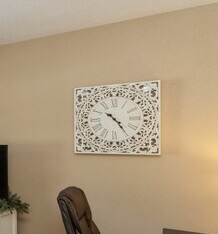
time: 4:23
